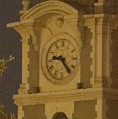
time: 9:23
